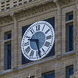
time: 9:28
